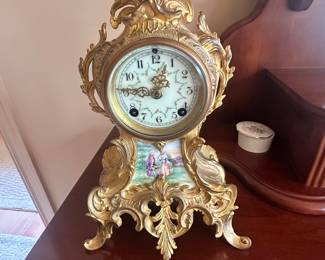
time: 12:46
